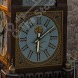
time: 6:08
